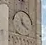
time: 11:21
